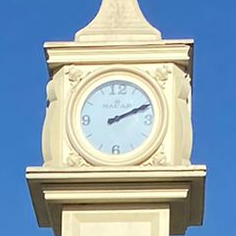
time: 2:11
